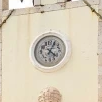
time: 4:04
